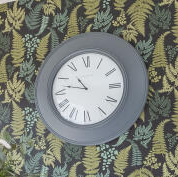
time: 10:47
